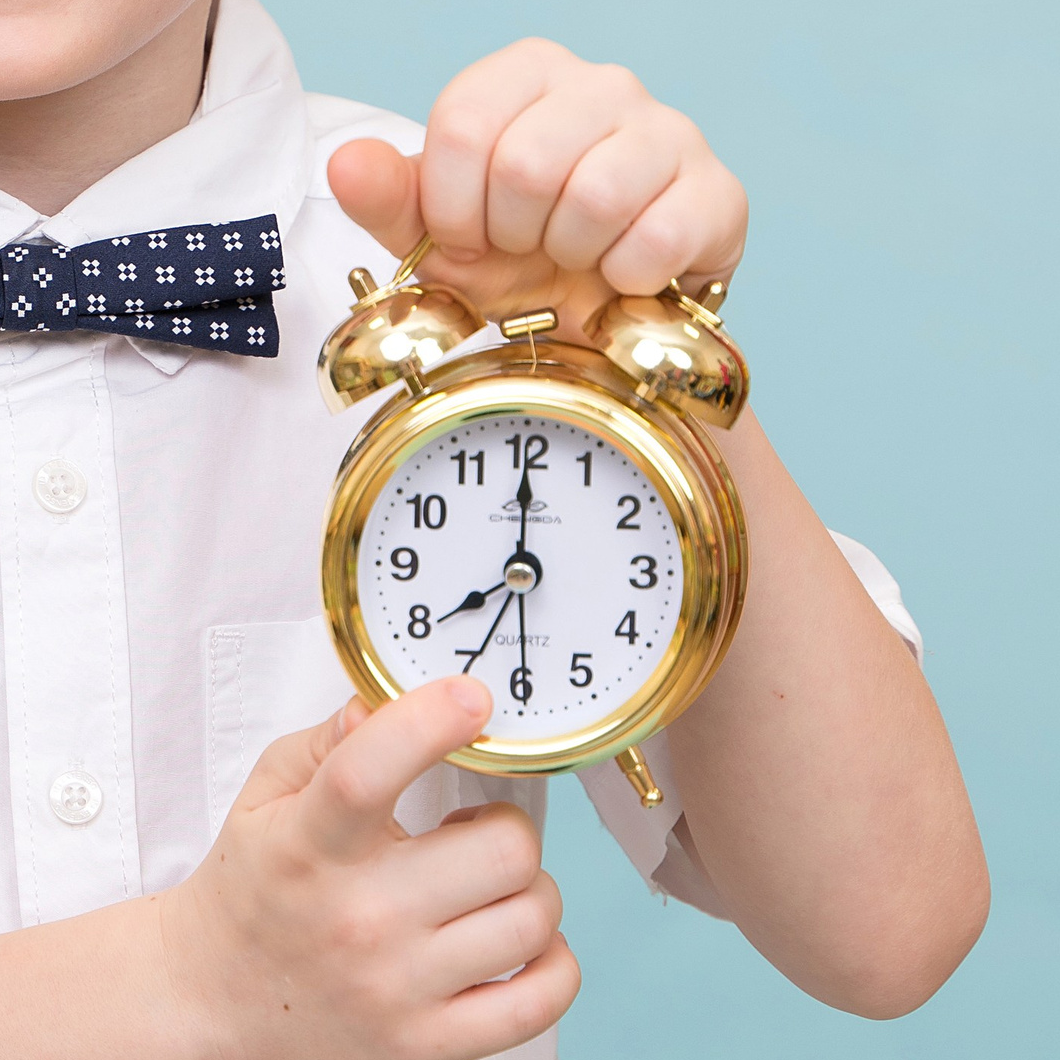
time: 8:00
